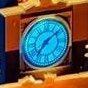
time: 7:08
